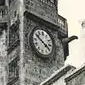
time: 3:50
